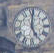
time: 5:00
